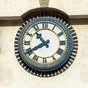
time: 10:40
